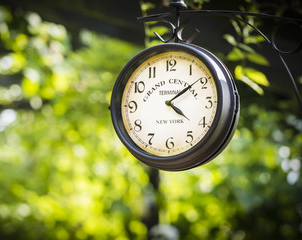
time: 4:08
